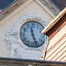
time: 11:26
